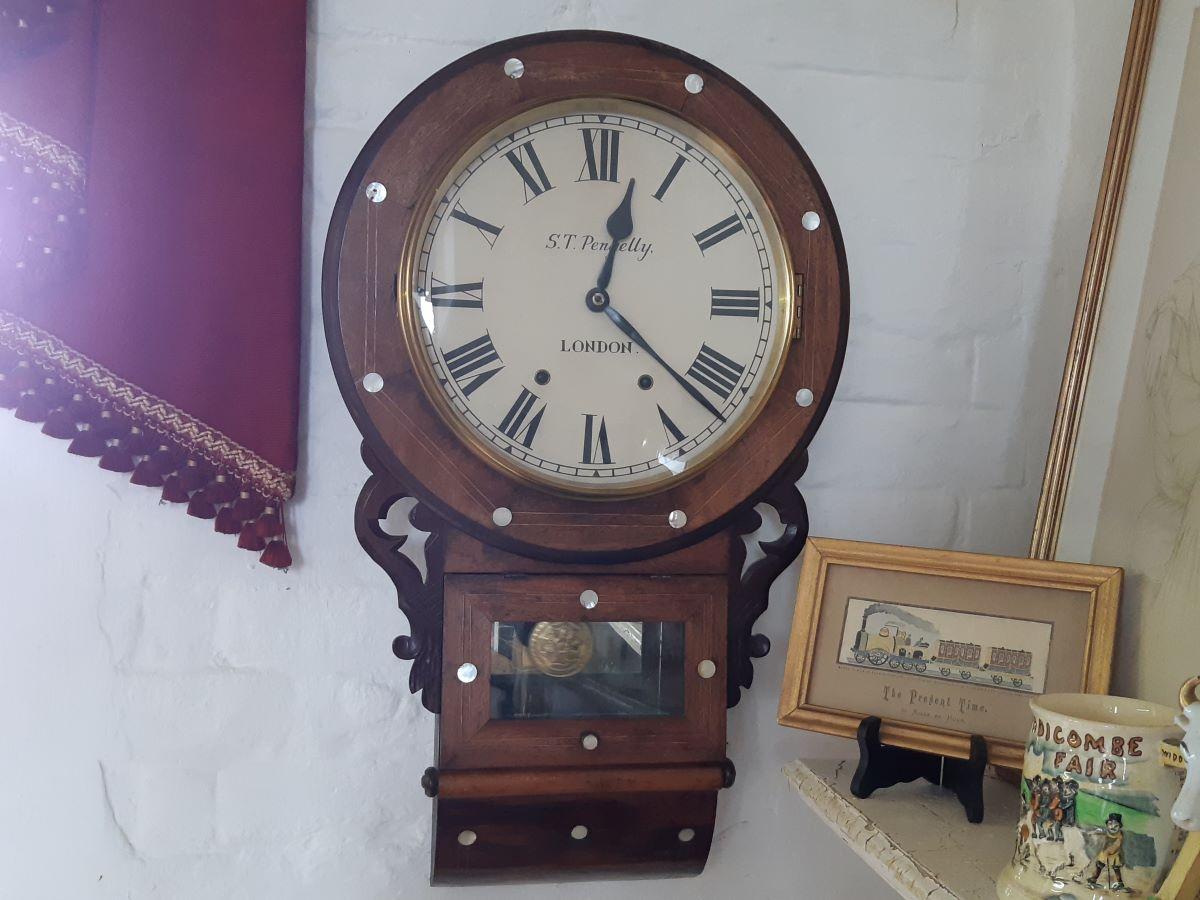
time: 12:22
